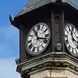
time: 11:17
